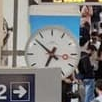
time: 6:52
